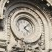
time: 4:07
